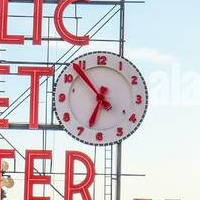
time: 6:53
